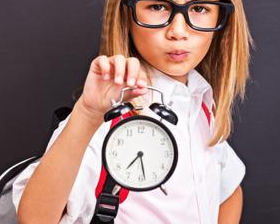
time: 7:28
